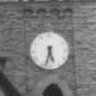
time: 5:33
